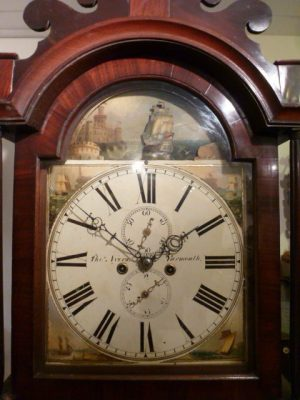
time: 1:50
